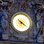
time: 10:20
